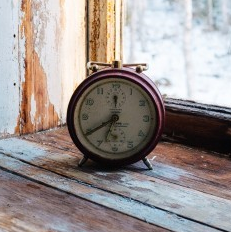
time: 6:39
